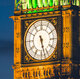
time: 5:27
